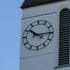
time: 10:14
